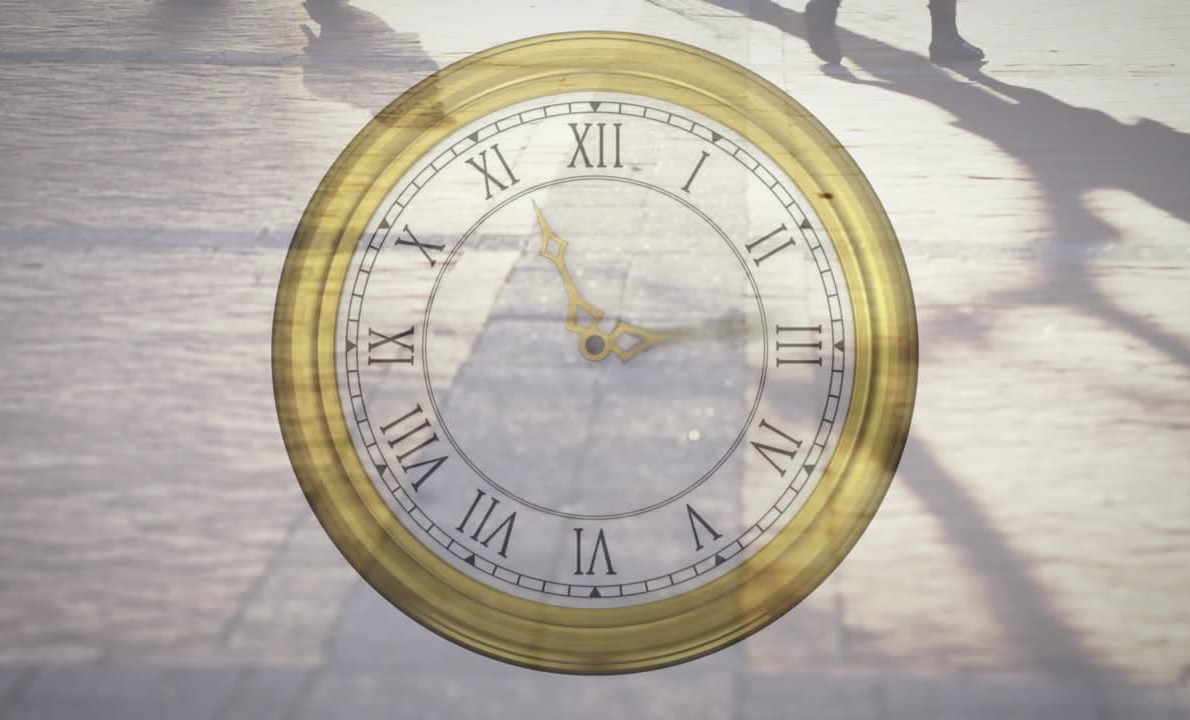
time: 11:13
